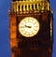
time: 9:45
